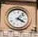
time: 4:07
